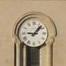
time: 9:07
